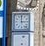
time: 2:59
